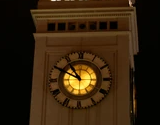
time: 10:49
